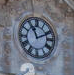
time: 11:11
